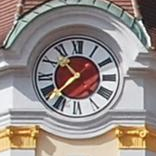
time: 10:37
